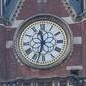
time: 11:32
